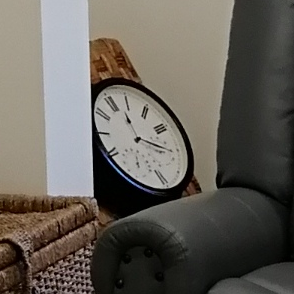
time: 11:16
